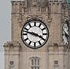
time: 3:47
